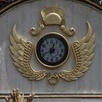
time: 12:41
